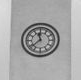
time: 11:37
